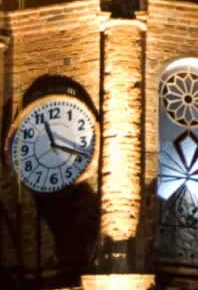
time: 11:18
